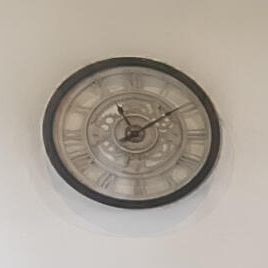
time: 11:09
